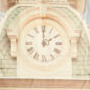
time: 2:00
